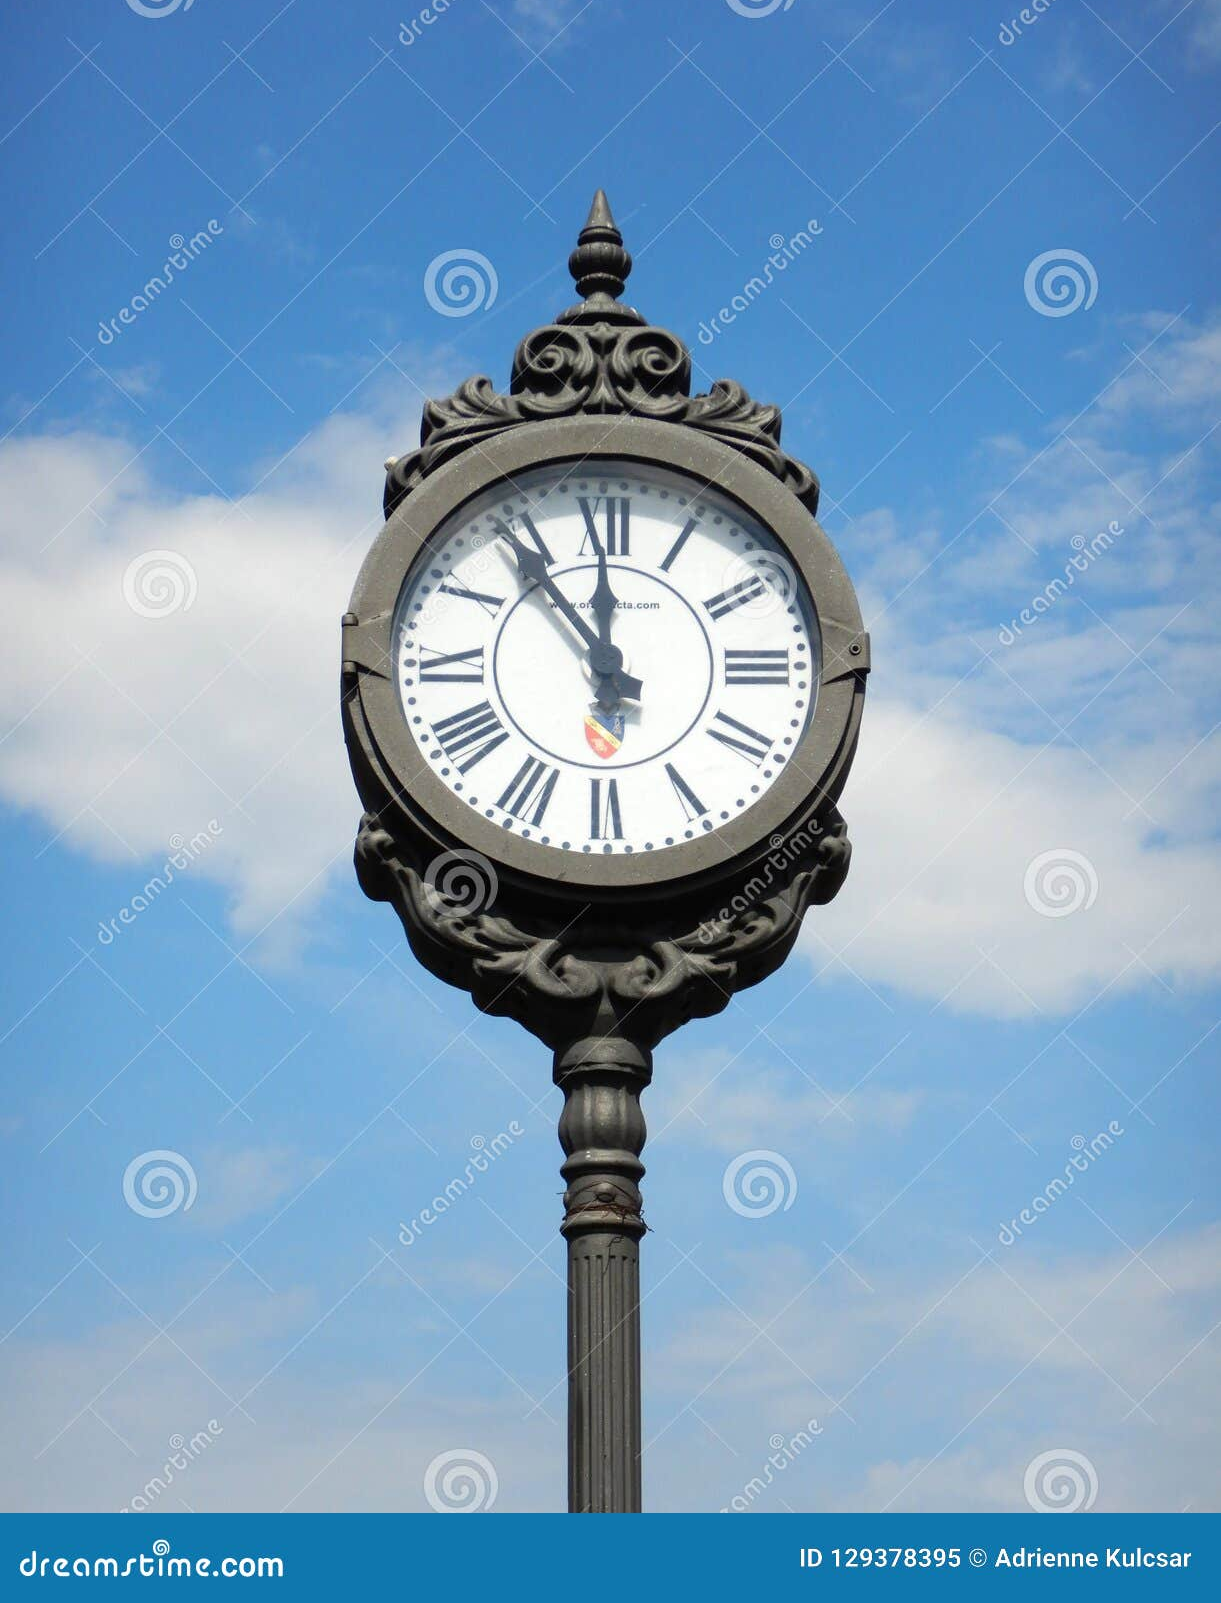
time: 11:53
